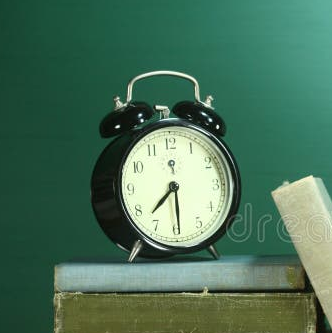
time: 7:29
